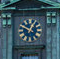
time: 12:49
